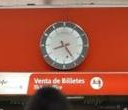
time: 8:24
